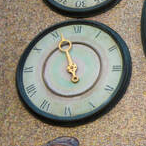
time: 4:56
